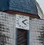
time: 4:08
